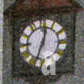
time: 12:33
